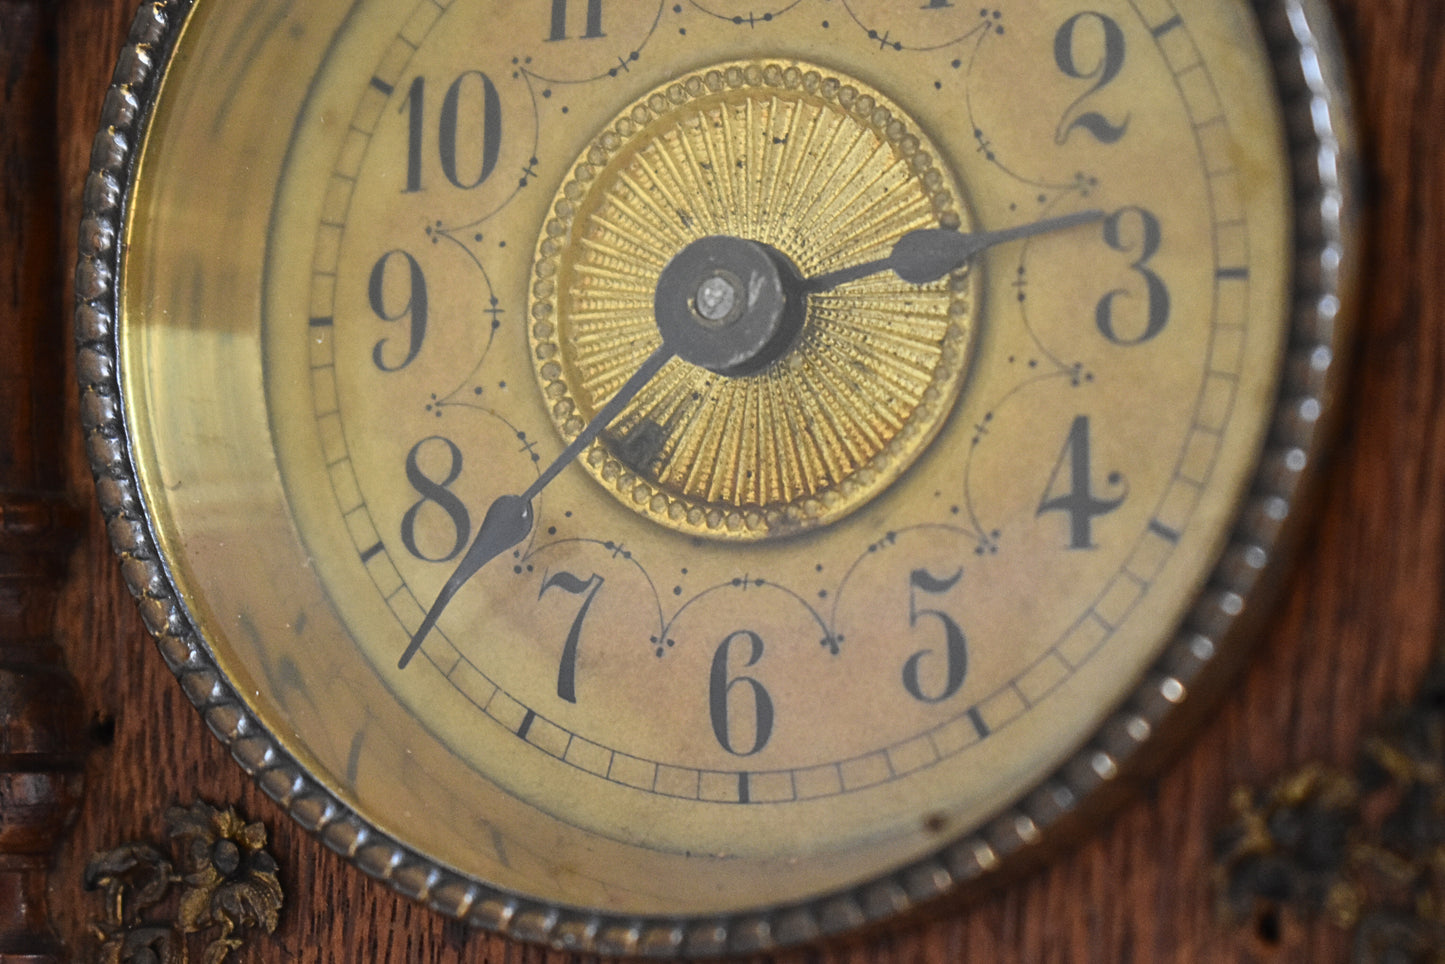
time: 2:38
